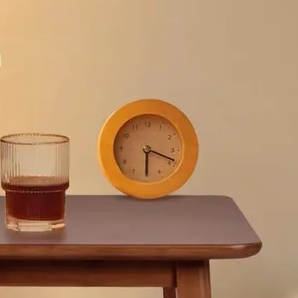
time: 6:18
